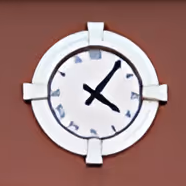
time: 4:06
